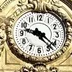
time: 9:22
